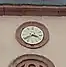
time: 3:39
